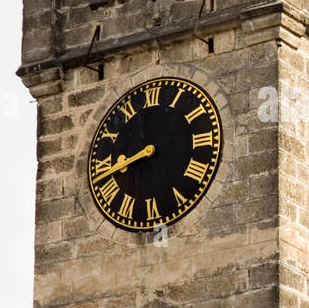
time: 8:42
